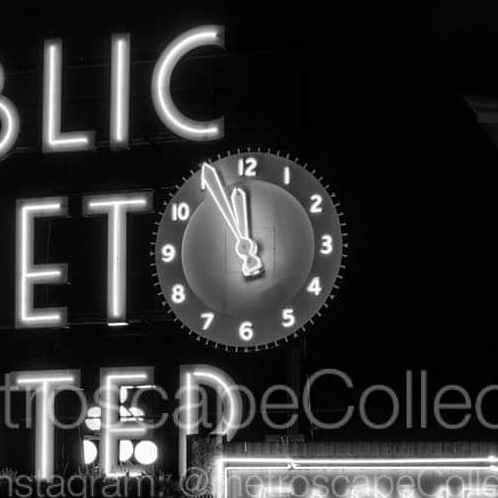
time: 11:55
